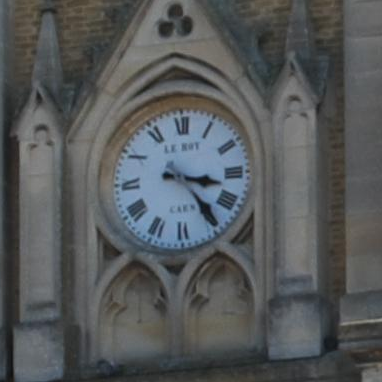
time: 3:23
